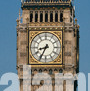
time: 8:34
